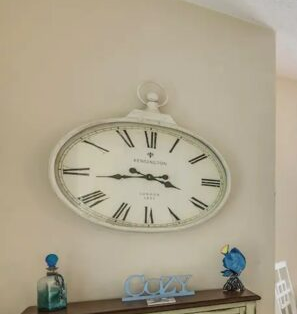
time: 3:43
